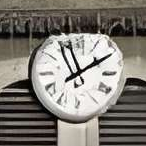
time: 1:56
